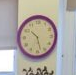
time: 10:27
